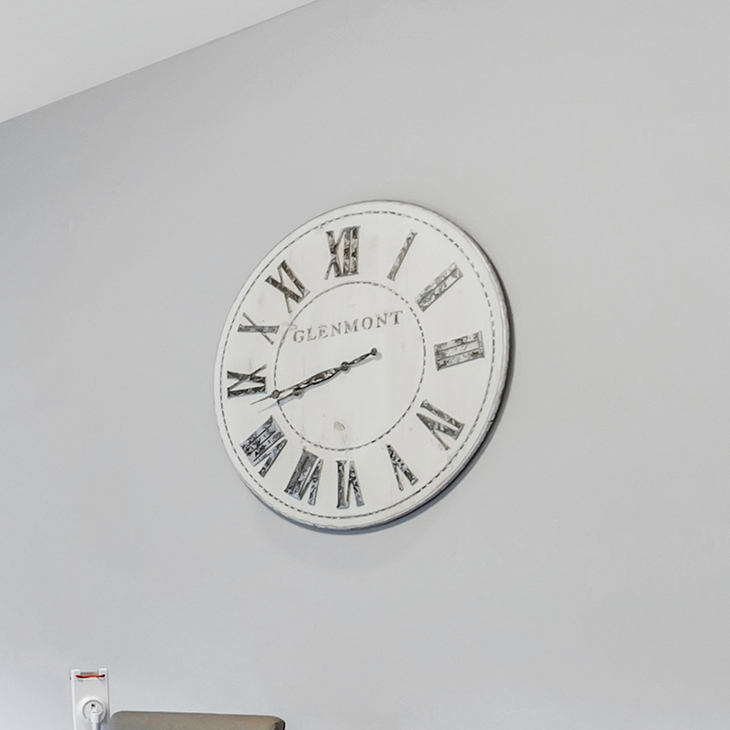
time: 8:42
